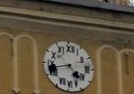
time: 4:42
